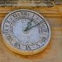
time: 1:10
